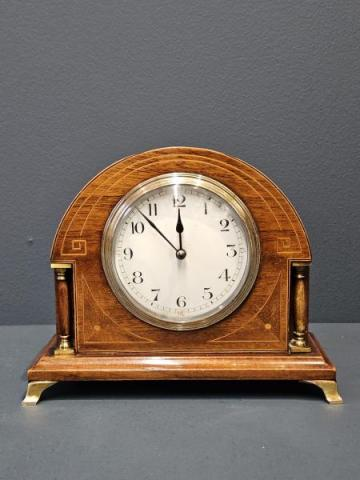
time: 11:52
